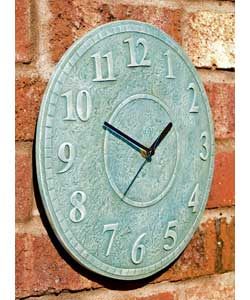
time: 1:49
